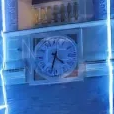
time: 4:32
